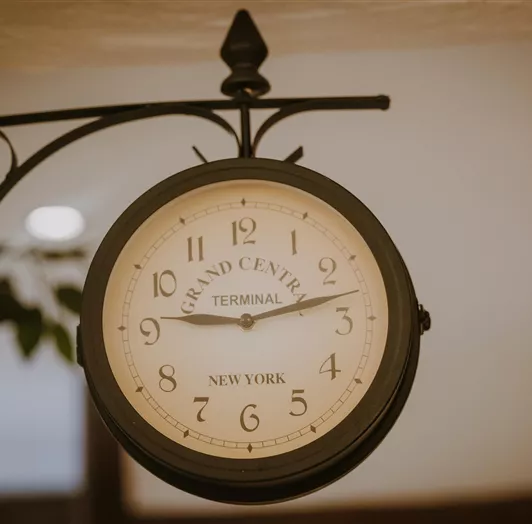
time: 9:12
